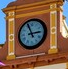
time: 2:56
